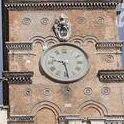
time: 9:28
